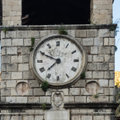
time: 7:49
